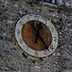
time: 12:23
